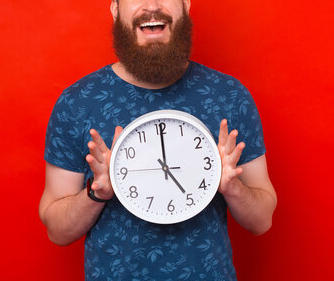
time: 5:00
